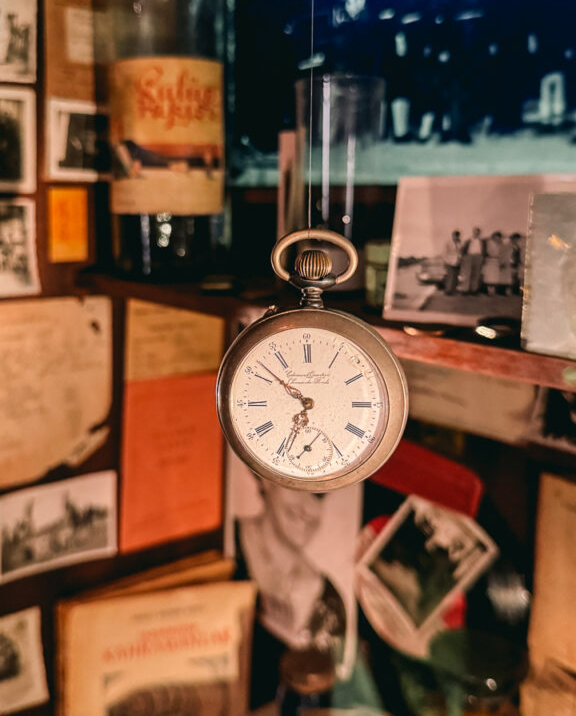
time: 6:51
